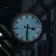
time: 3:31
